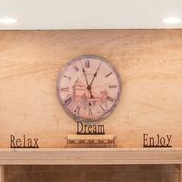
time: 12:57
